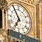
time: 6:54
